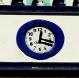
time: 12:16
